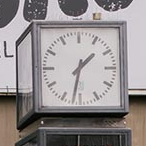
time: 1:32
